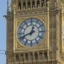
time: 12:41
